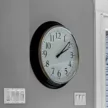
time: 2:08
